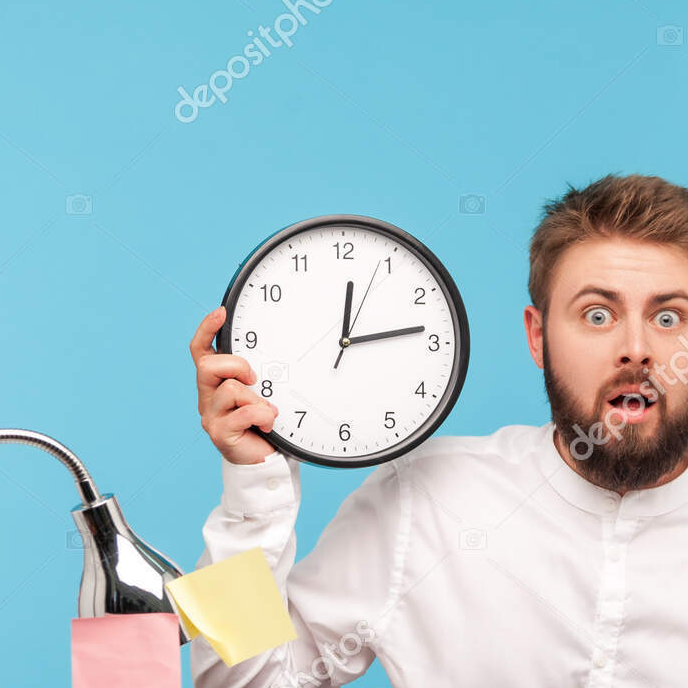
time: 12:13
